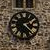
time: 2:22
